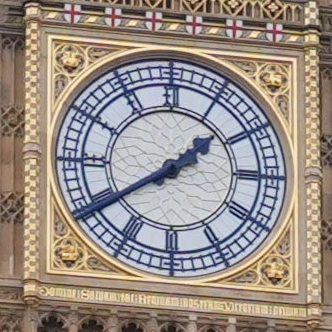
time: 1:39
